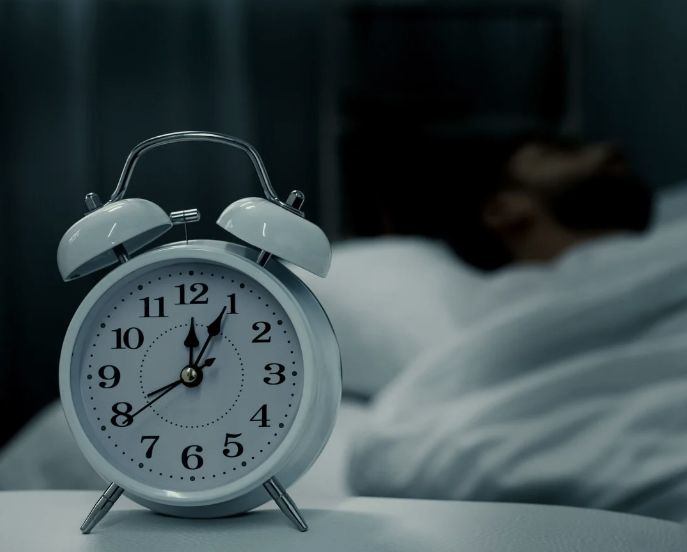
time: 12:04
